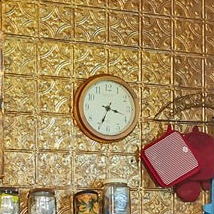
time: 3:34
